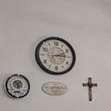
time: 2:14
